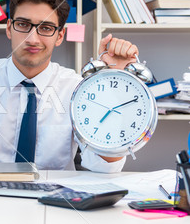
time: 7:10
